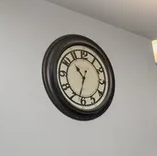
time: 10:32
